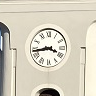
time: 3:43
